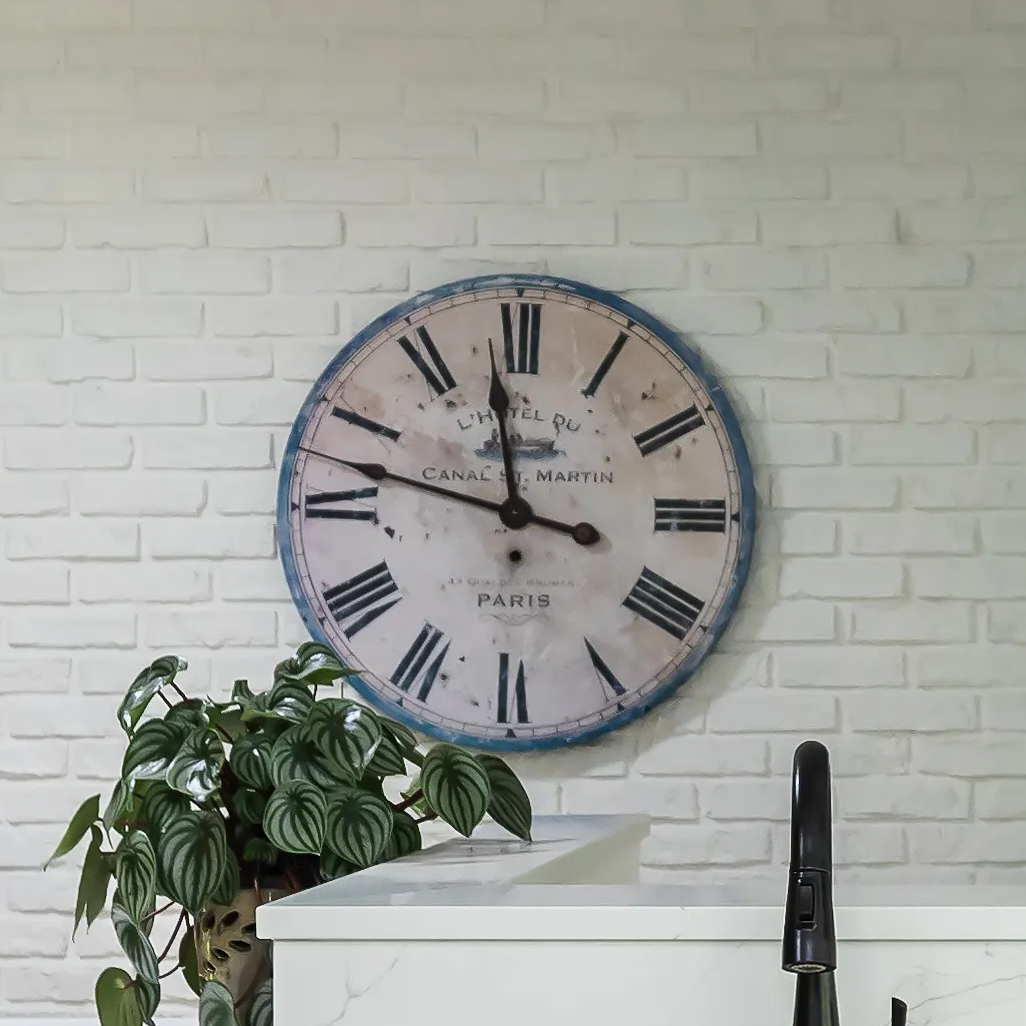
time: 11:47
